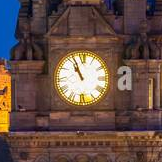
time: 10:56
